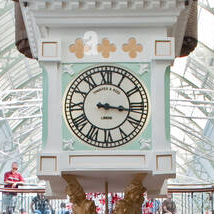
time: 3:16
